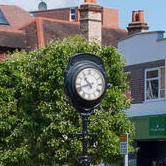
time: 10:42
